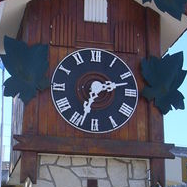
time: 2:33
